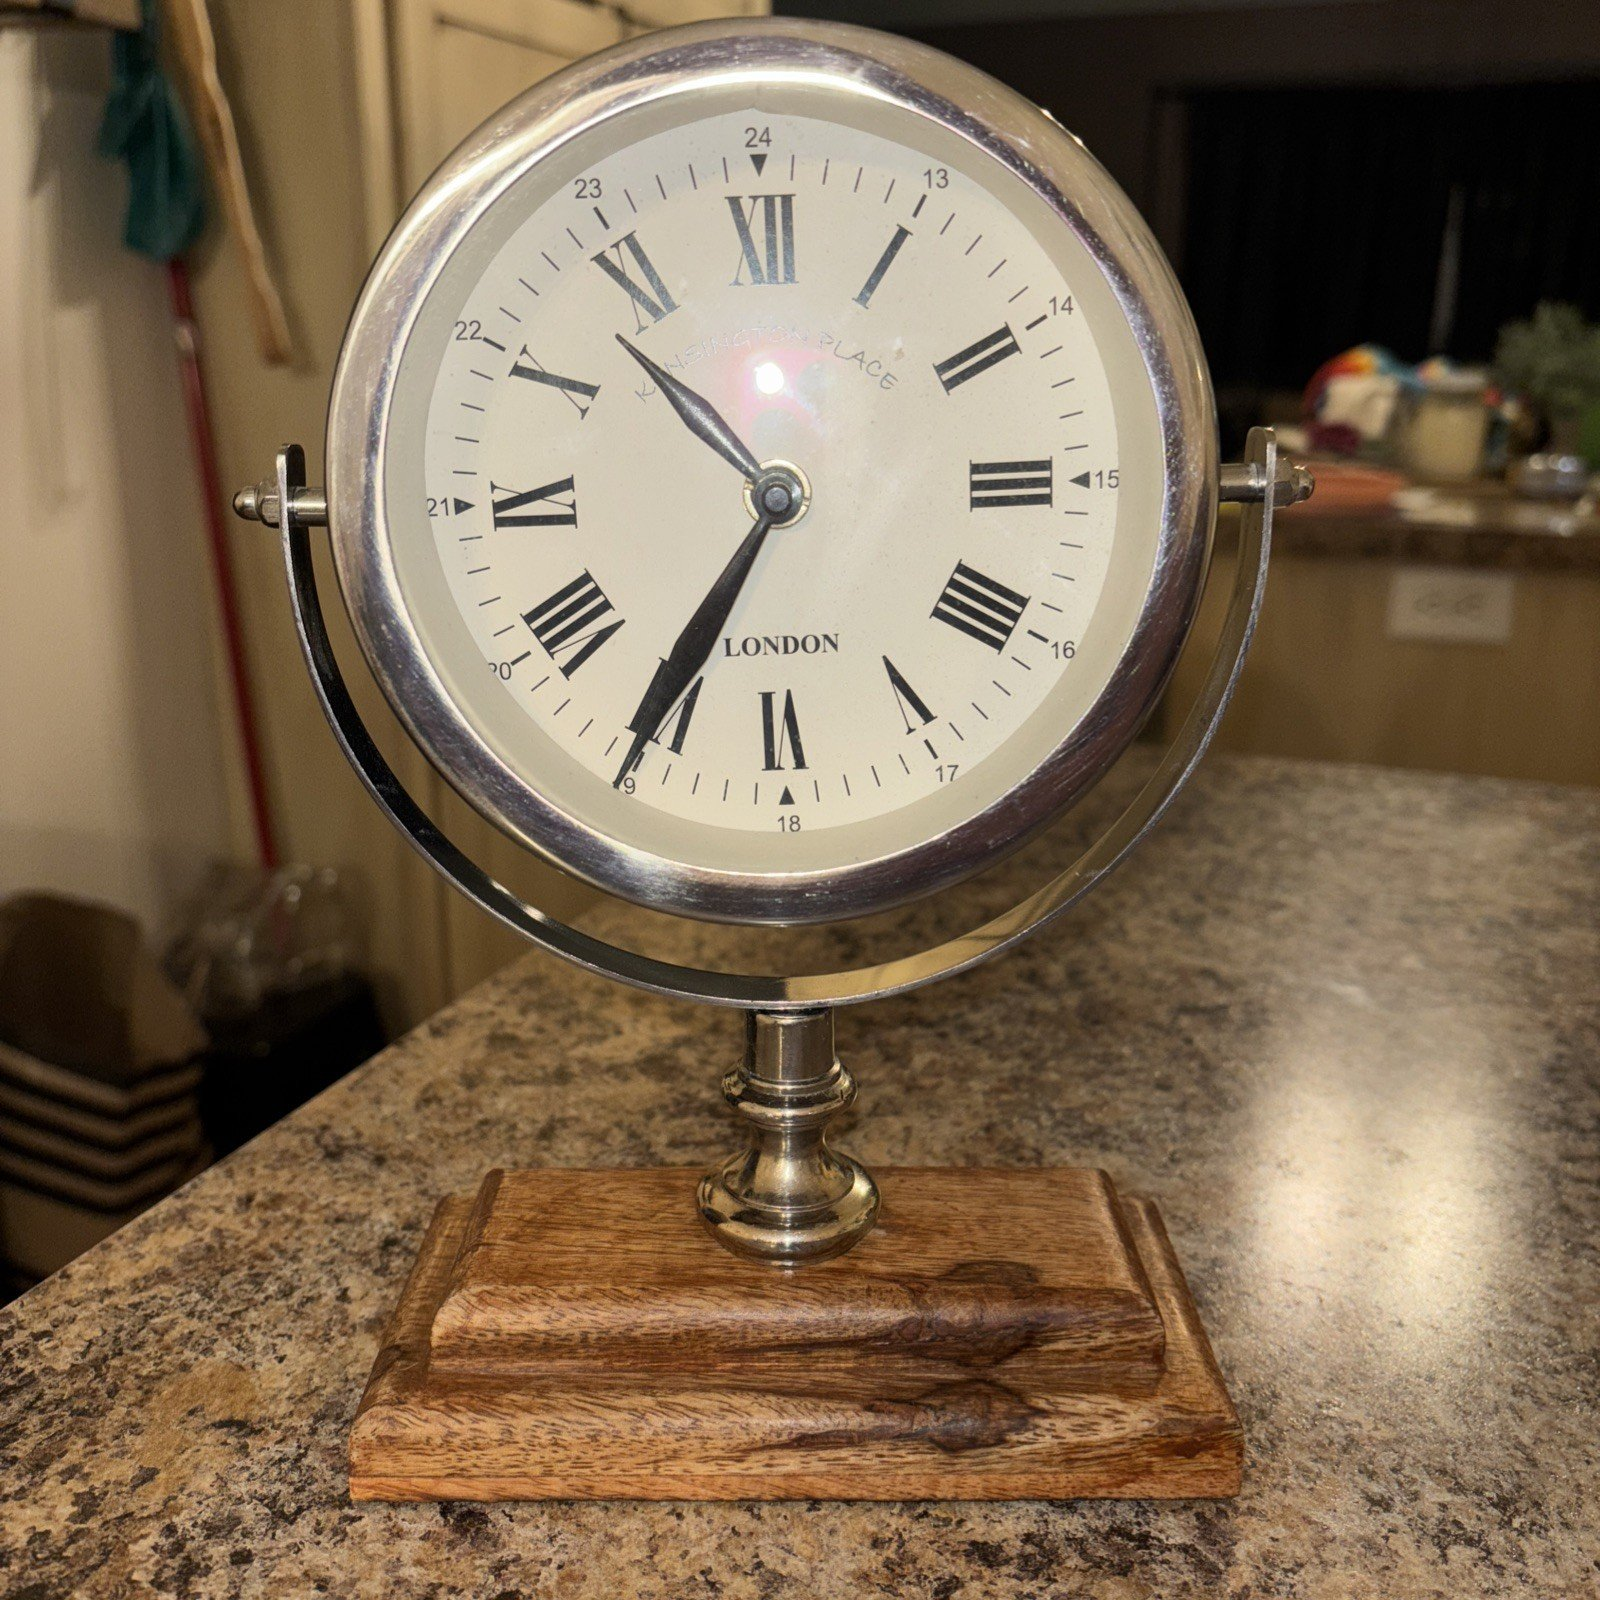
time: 10:35
